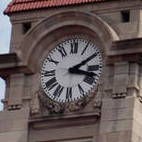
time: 3:09
